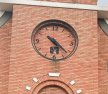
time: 6:22
